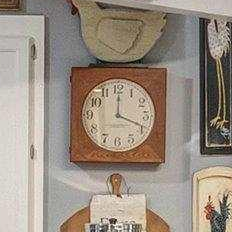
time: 12:18
